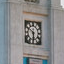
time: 5:50
